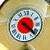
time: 4:22
